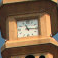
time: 11:16
